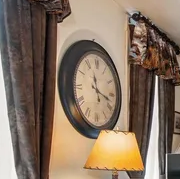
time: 11:17
